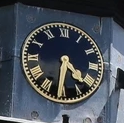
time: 4:31
